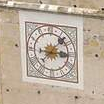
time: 3:07
